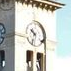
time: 10:33
